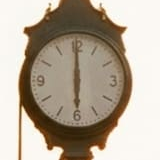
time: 6:00
